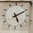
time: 5:10
